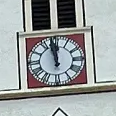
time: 11:58
